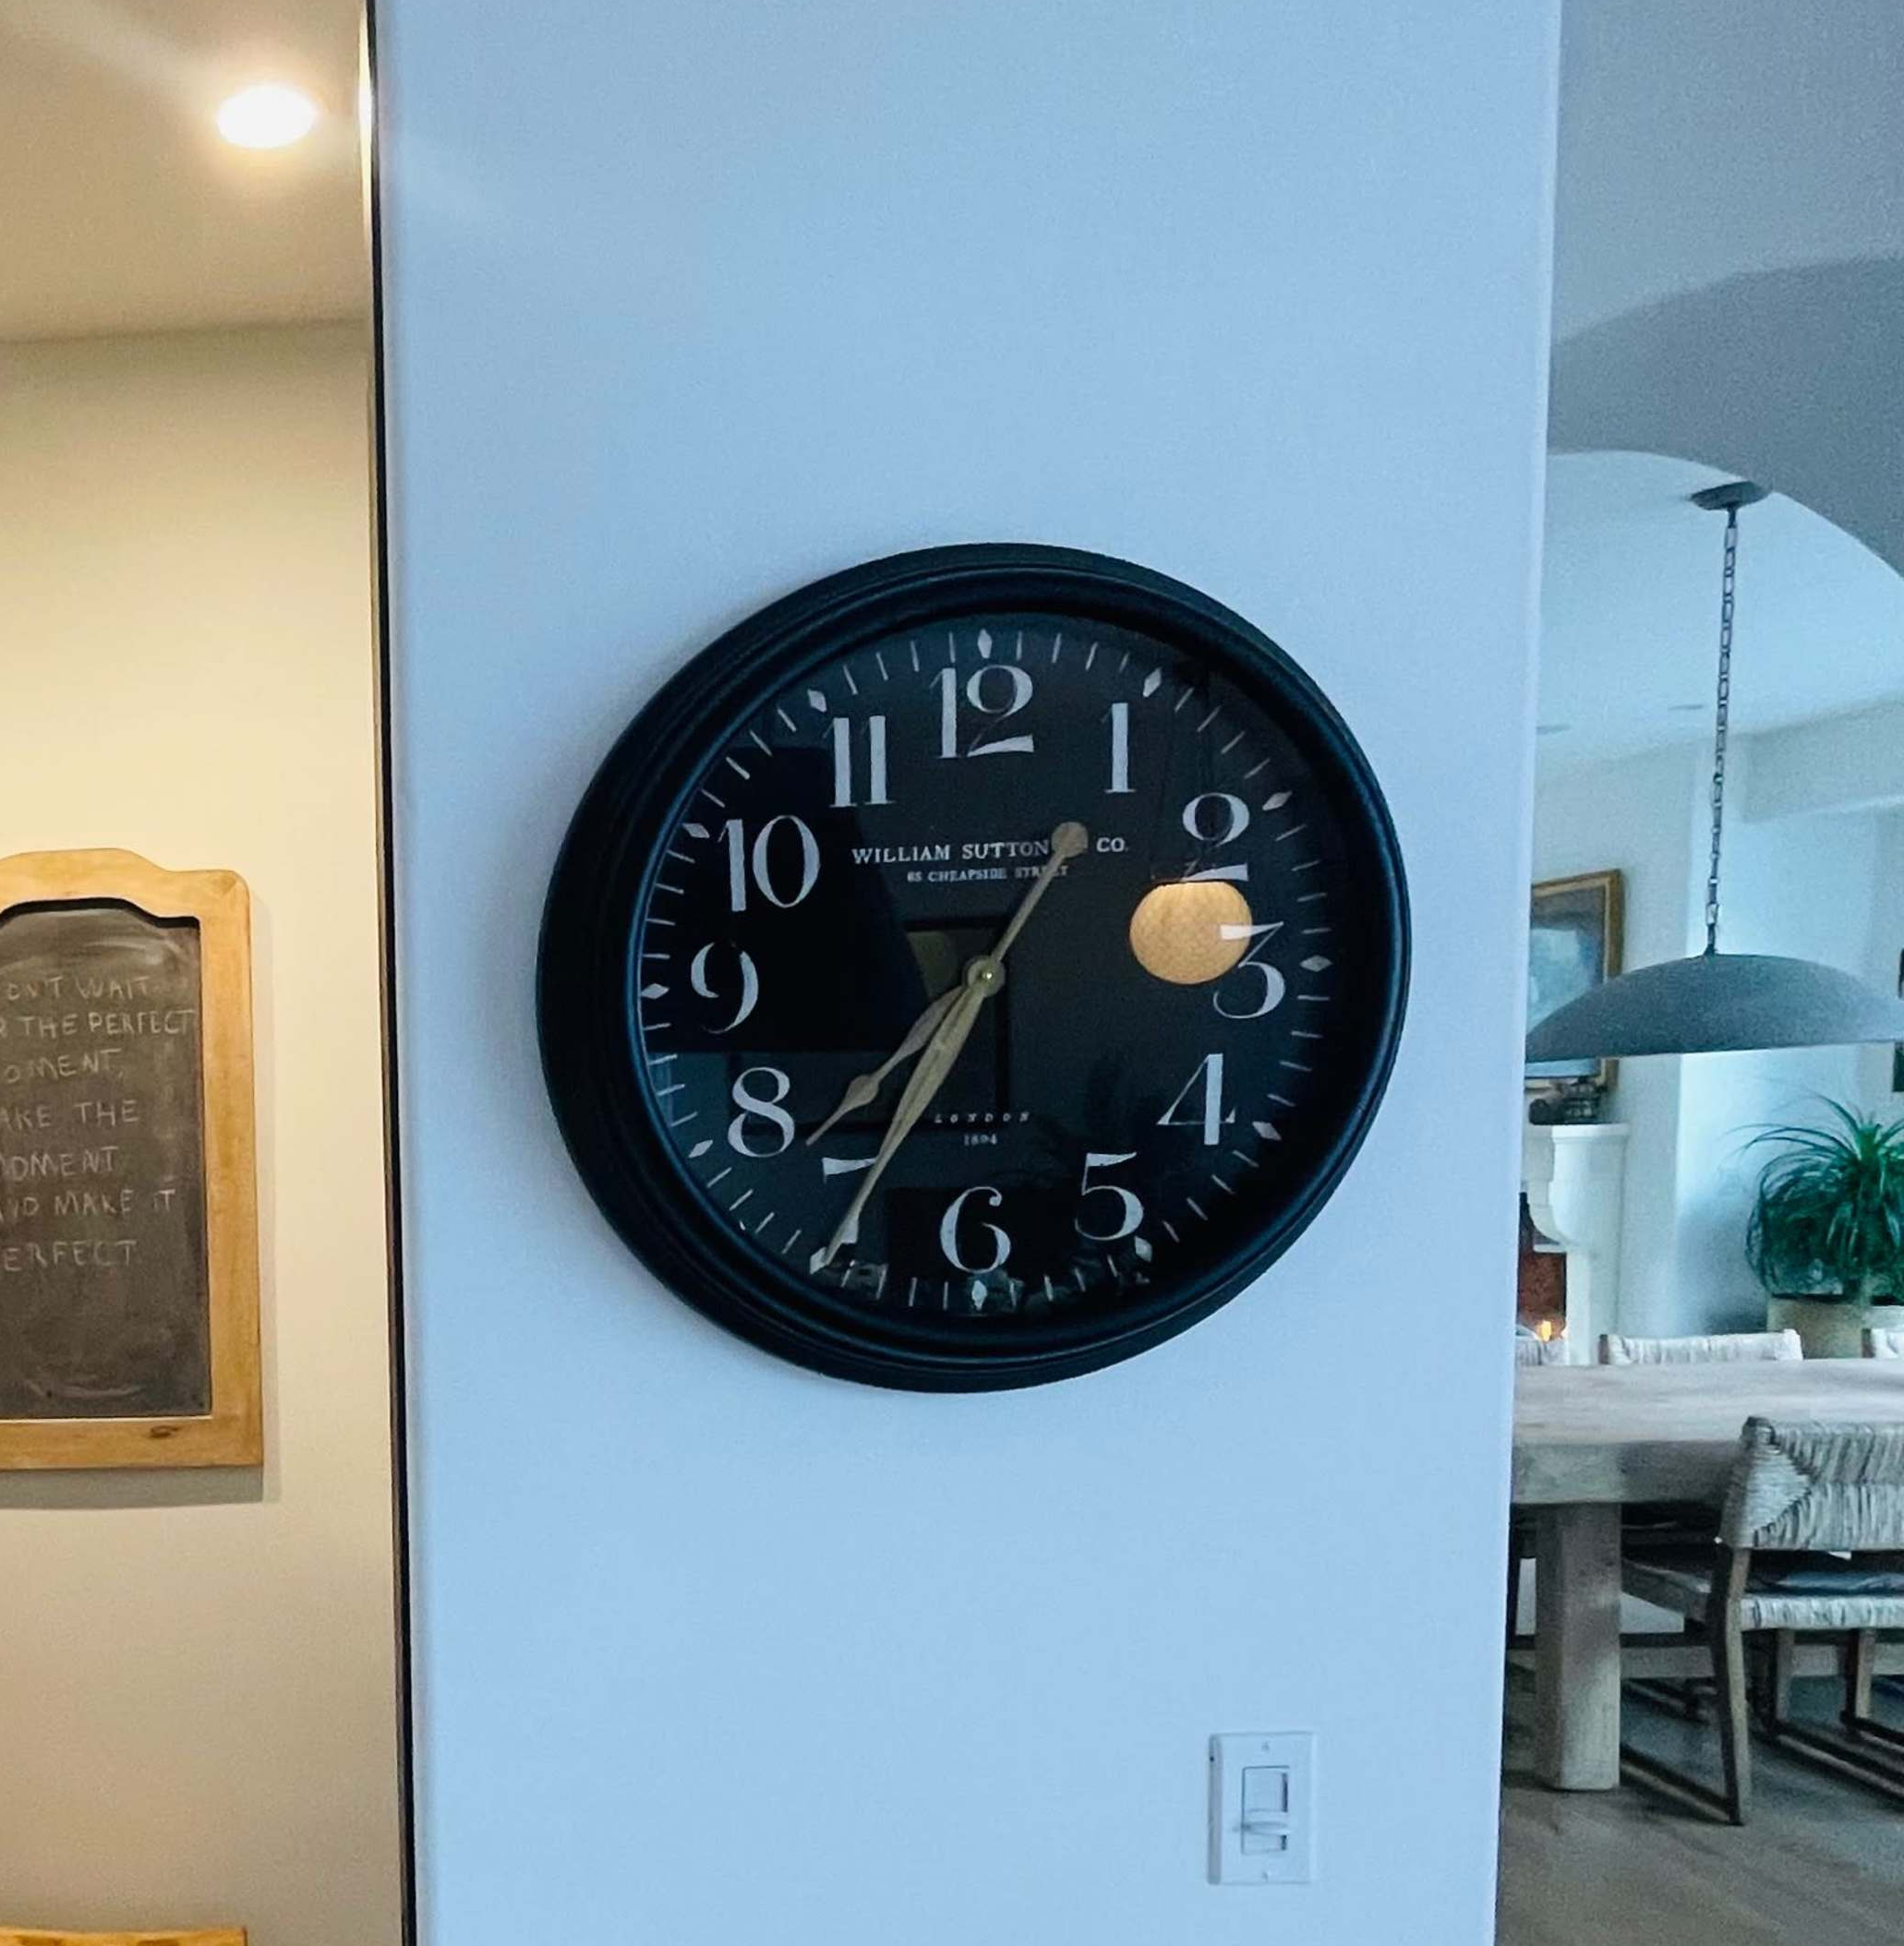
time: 7:34
